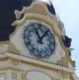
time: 11:06
